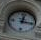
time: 12:16
